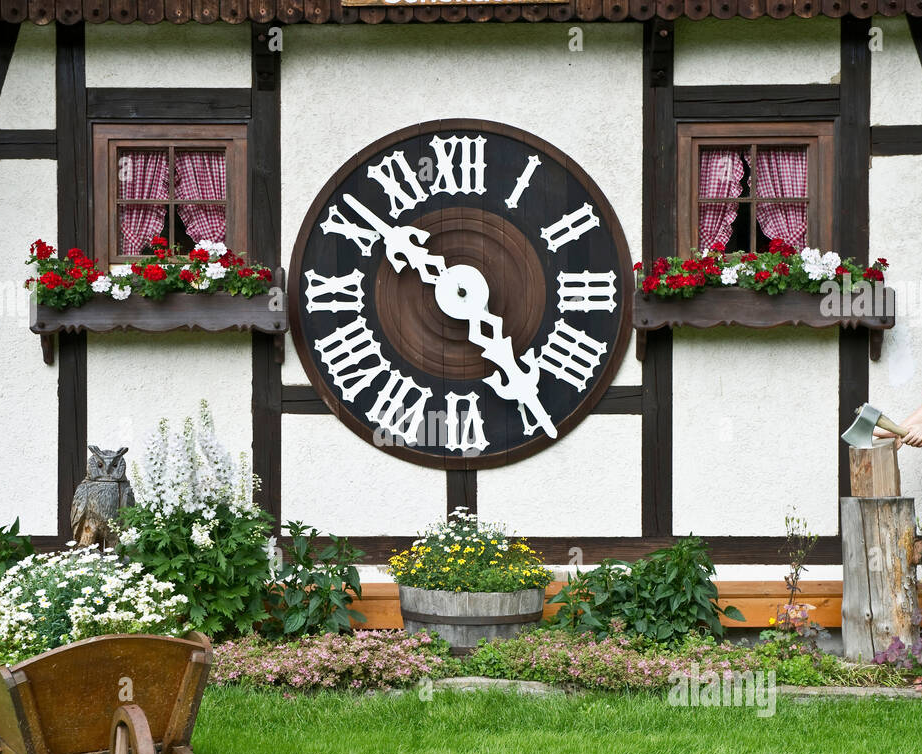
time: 4:51
